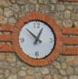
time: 12:52
